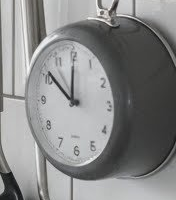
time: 11:51
